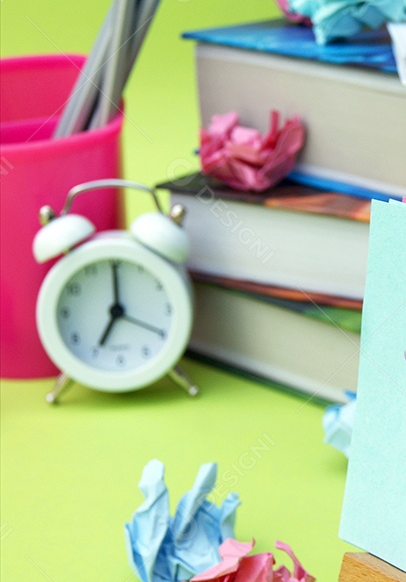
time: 7:00
